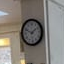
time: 1:49
